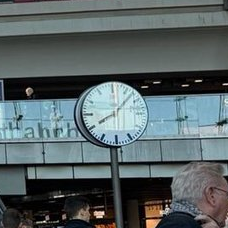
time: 8:07
